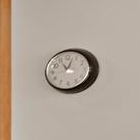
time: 11:03
